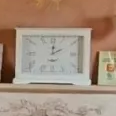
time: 2:01
